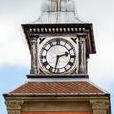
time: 2:32
